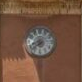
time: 7:37
